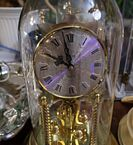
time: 9:58
